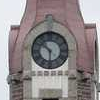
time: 10:30
